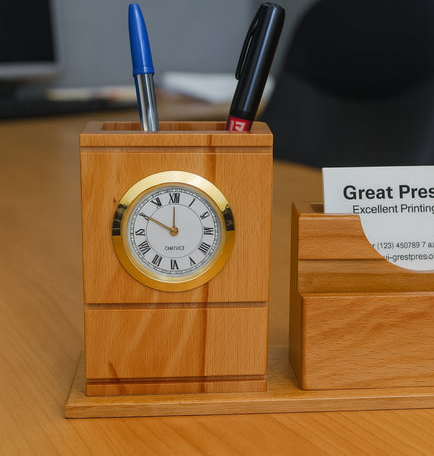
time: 11:50
